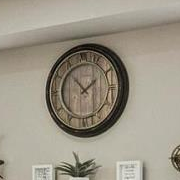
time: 1:52
